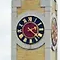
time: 2:21
